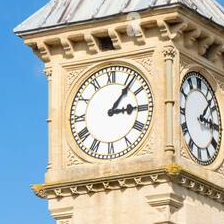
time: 3:06
